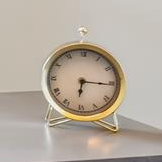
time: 6:15
